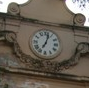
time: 7:02
